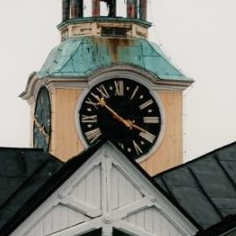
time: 3:52
